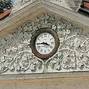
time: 3:44
